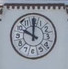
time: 10:00
